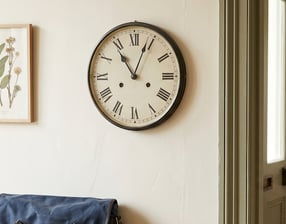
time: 11:03
